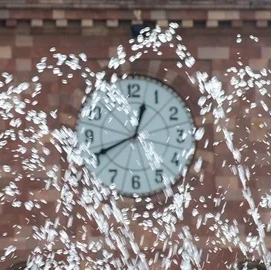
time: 12:41
